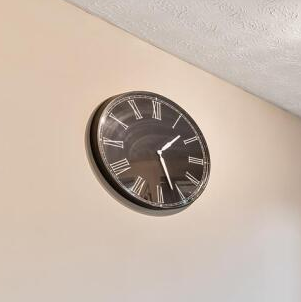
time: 1:26
